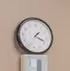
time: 1:18
